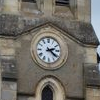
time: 2:21
